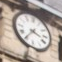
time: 3:35
